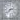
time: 2:38
